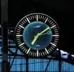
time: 7:09
